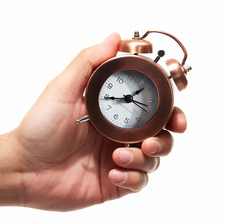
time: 1:44
